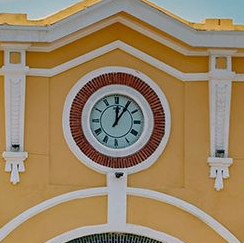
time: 12:05
